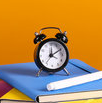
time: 12:10
